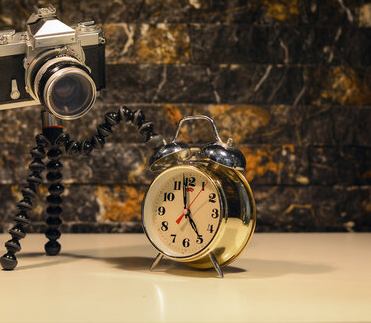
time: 4:59
